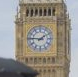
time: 1:46
